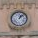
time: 1:07
